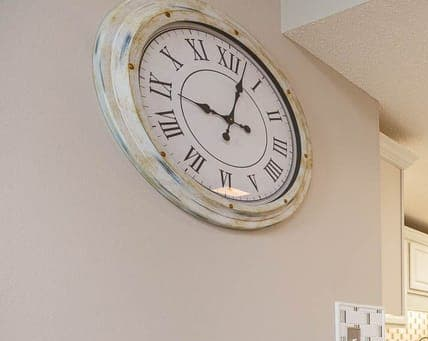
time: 9:02
